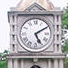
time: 5:09
